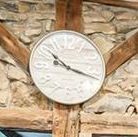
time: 10:17
